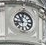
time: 10:42
